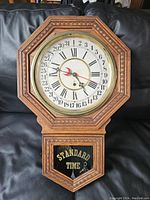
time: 4:46
